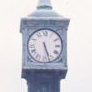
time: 5:26
